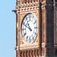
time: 10:49
